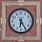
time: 6:24
